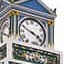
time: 3:48
